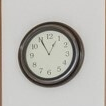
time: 12:55
